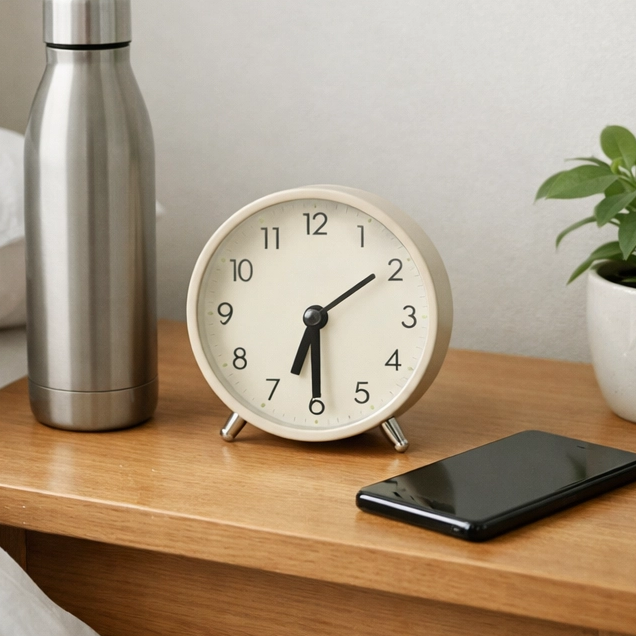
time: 6:29
